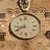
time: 8:40
